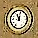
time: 11:55
